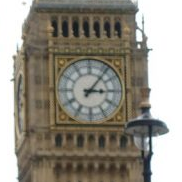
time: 3:06
